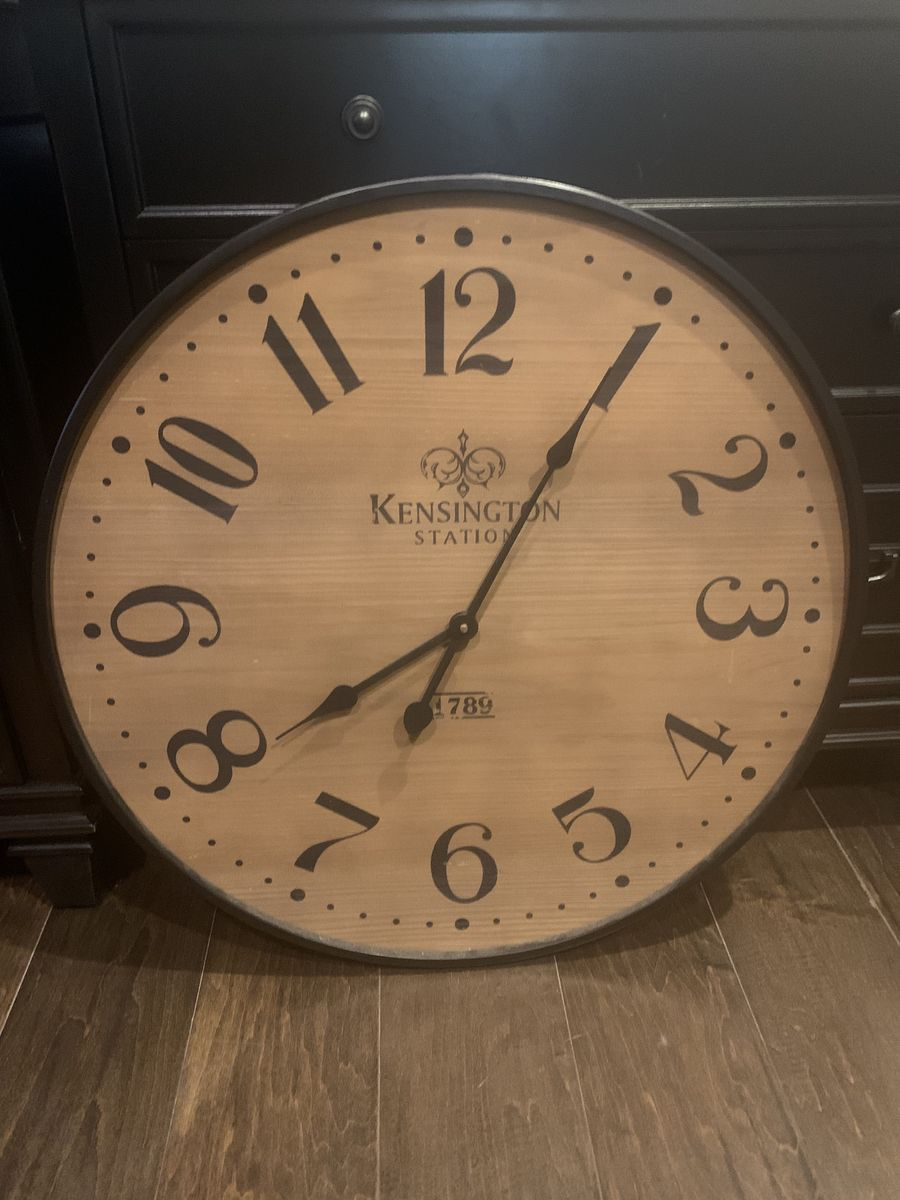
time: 8:04
